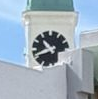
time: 10:41
